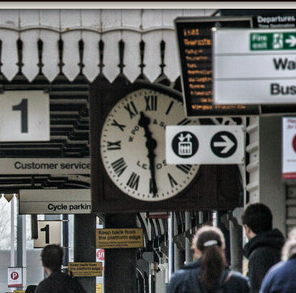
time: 11:29
